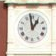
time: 12:58
